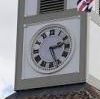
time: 2:26
